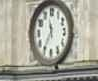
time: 11:35
